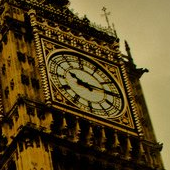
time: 10:14
